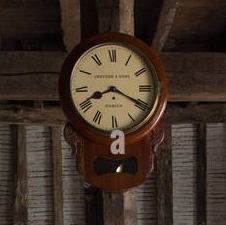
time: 8:19
